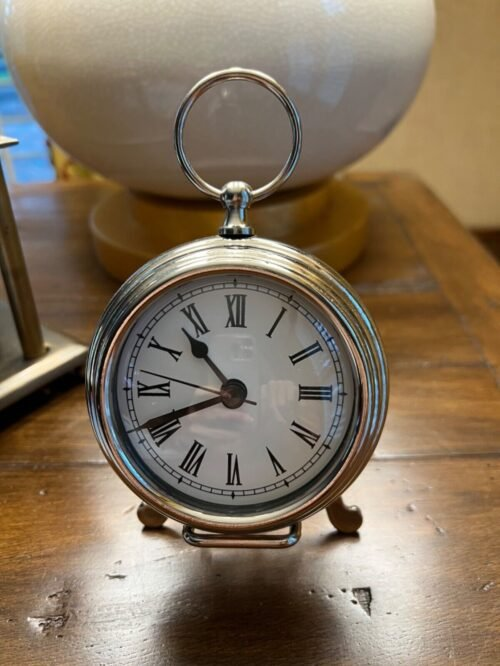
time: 10:41
